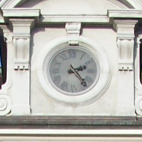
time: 2:23
